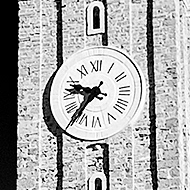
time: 9:36
